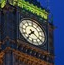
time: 7:20
